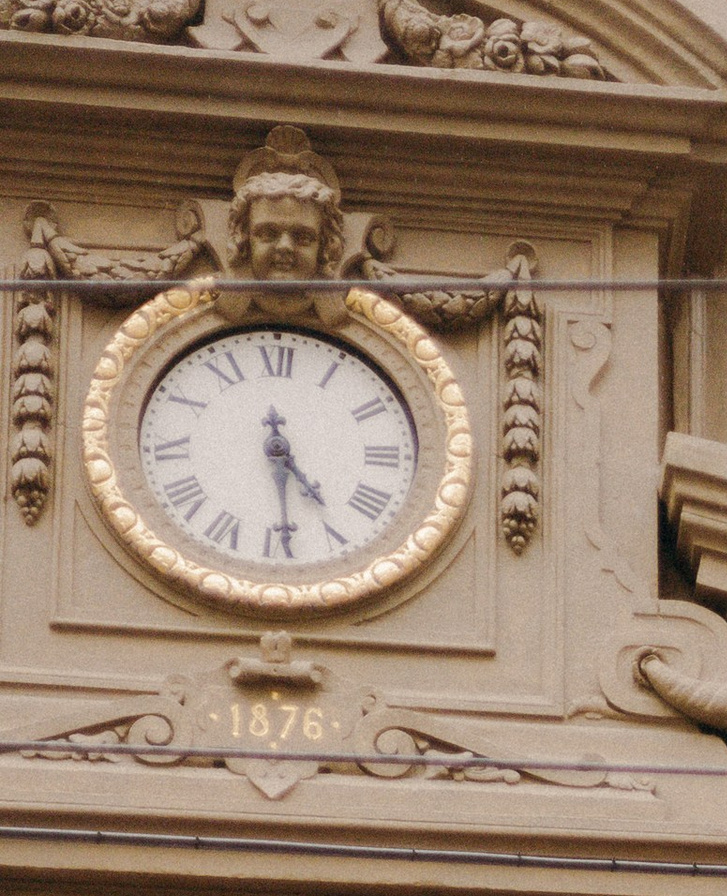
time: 4:29
